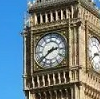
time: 2:38
